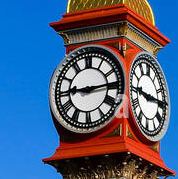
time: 9:13
